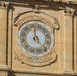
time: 4:59
